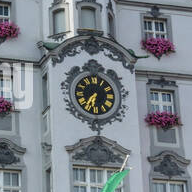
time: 6:35
